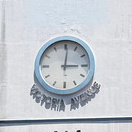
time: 3:00
